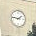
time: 1:46
